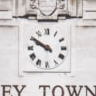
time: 9:50
